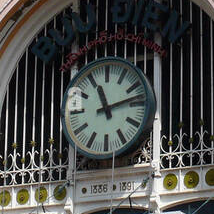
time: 11:12
